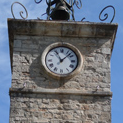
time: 11:07
